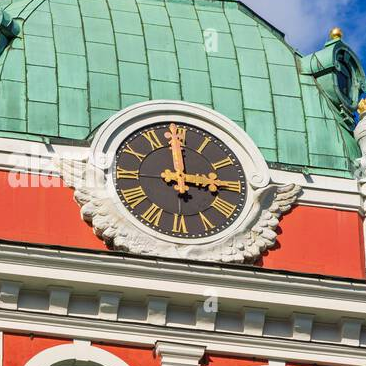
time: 2:59
